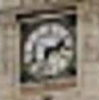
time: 2:33
